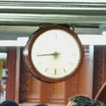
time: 5:44
